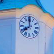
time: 7:59
